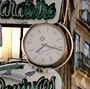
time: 7:17
